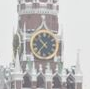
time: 10:36
